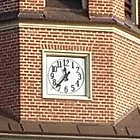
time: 11:36
